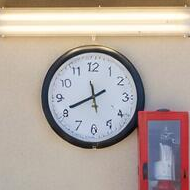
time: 5:41
